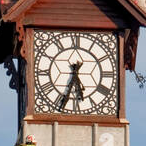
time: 5:33
